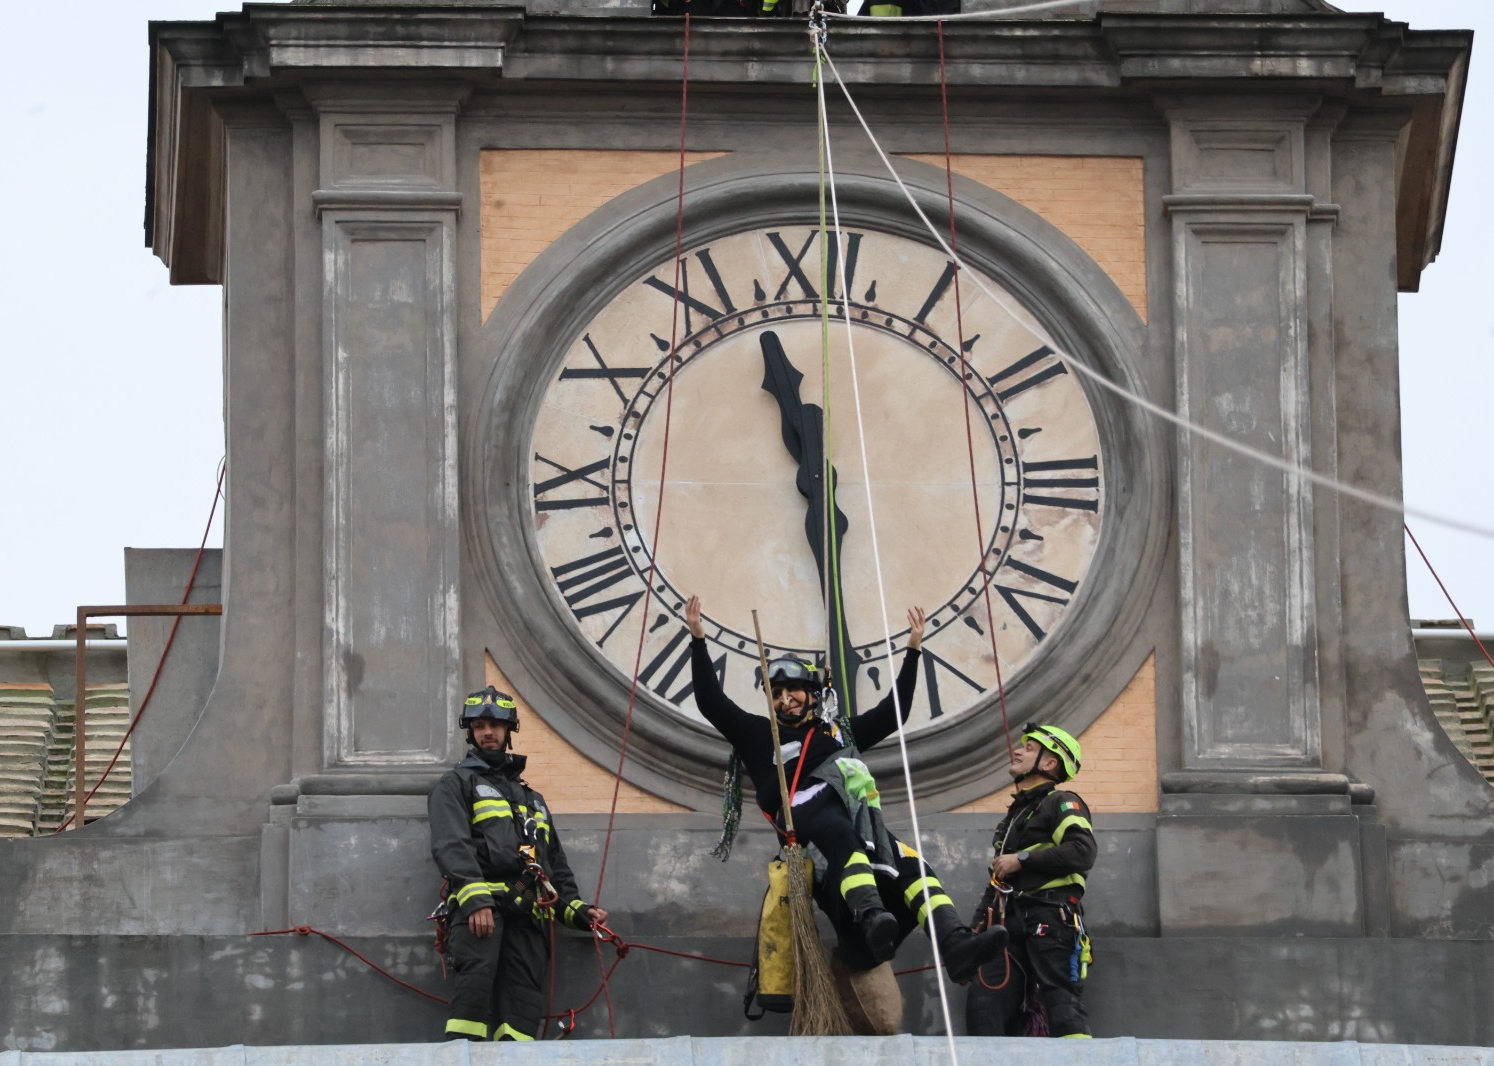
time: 11:28
